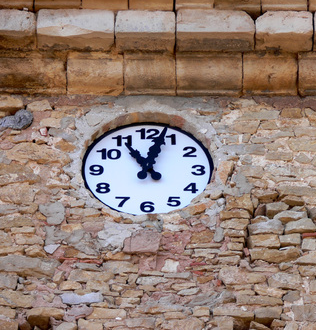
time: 11:03
